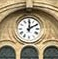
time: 2:00
